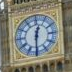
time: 12:30
